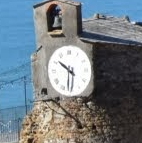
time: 10:31
